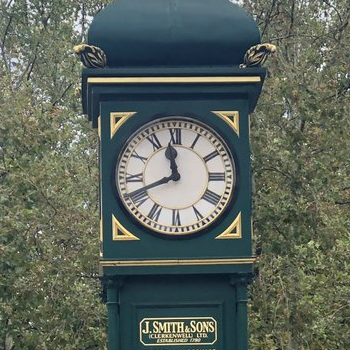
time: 11:41
